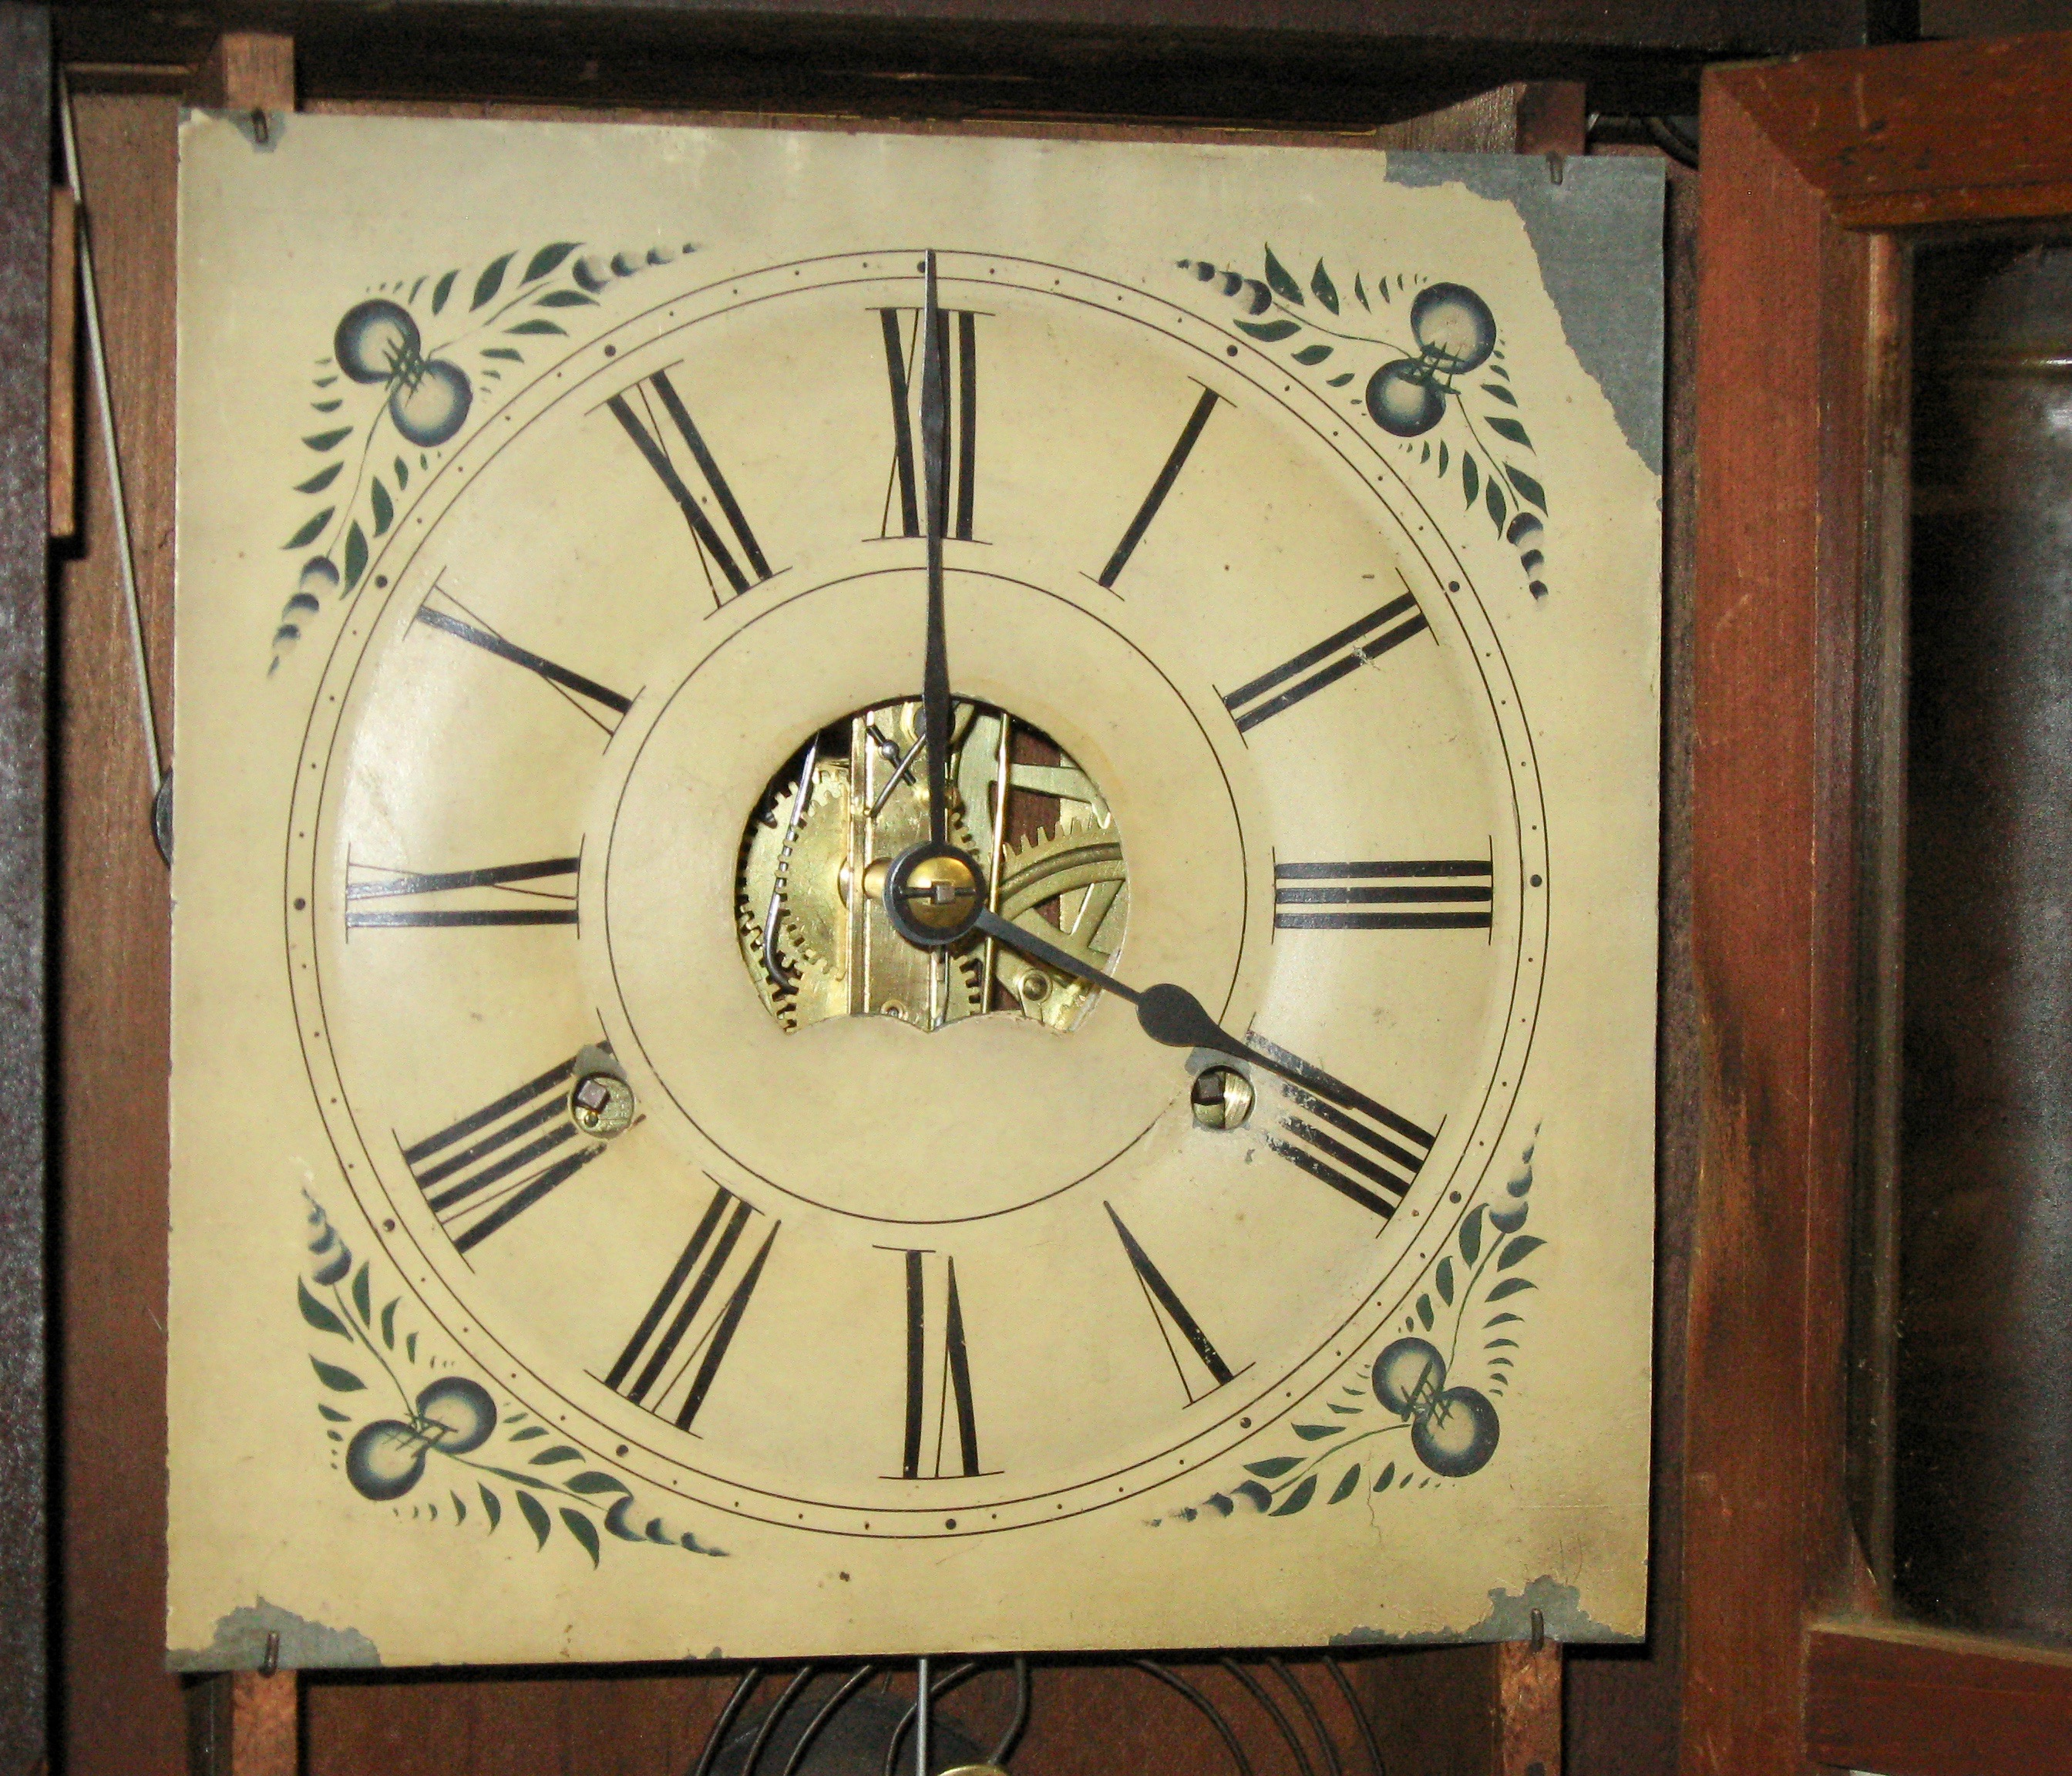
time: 4:00
